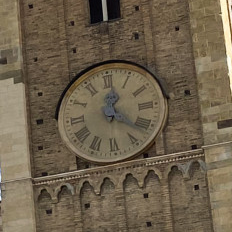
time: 12:21
